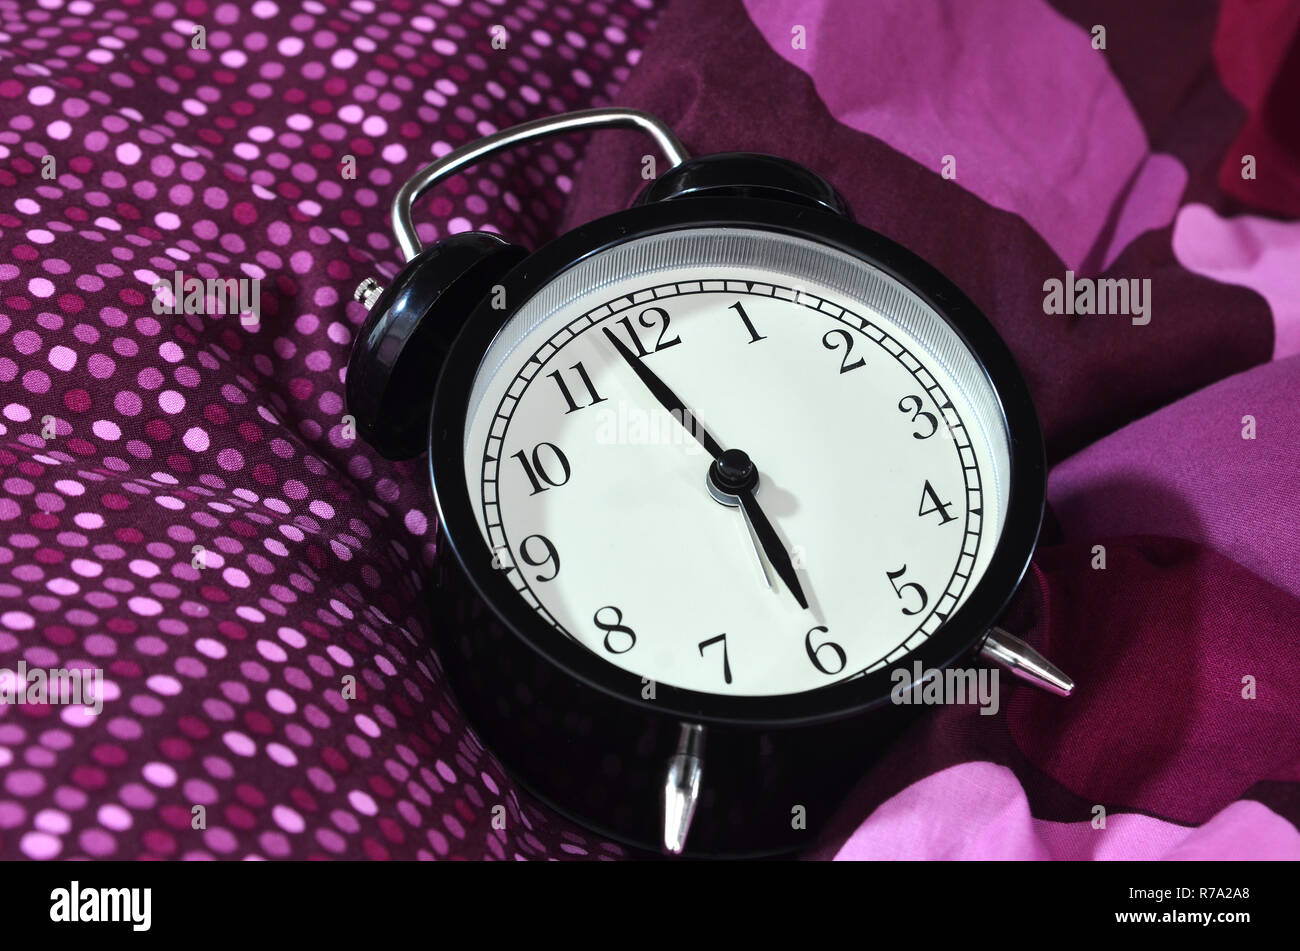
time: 5:58
